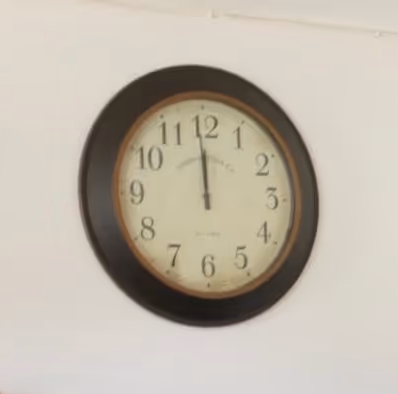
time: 11:59
